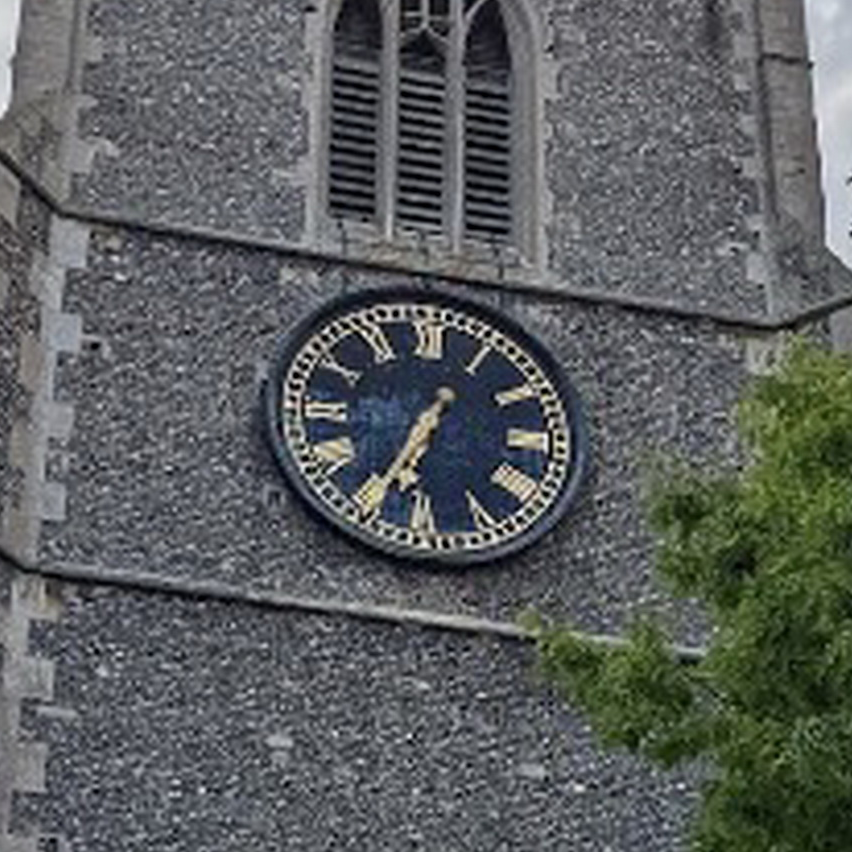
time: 6:34
